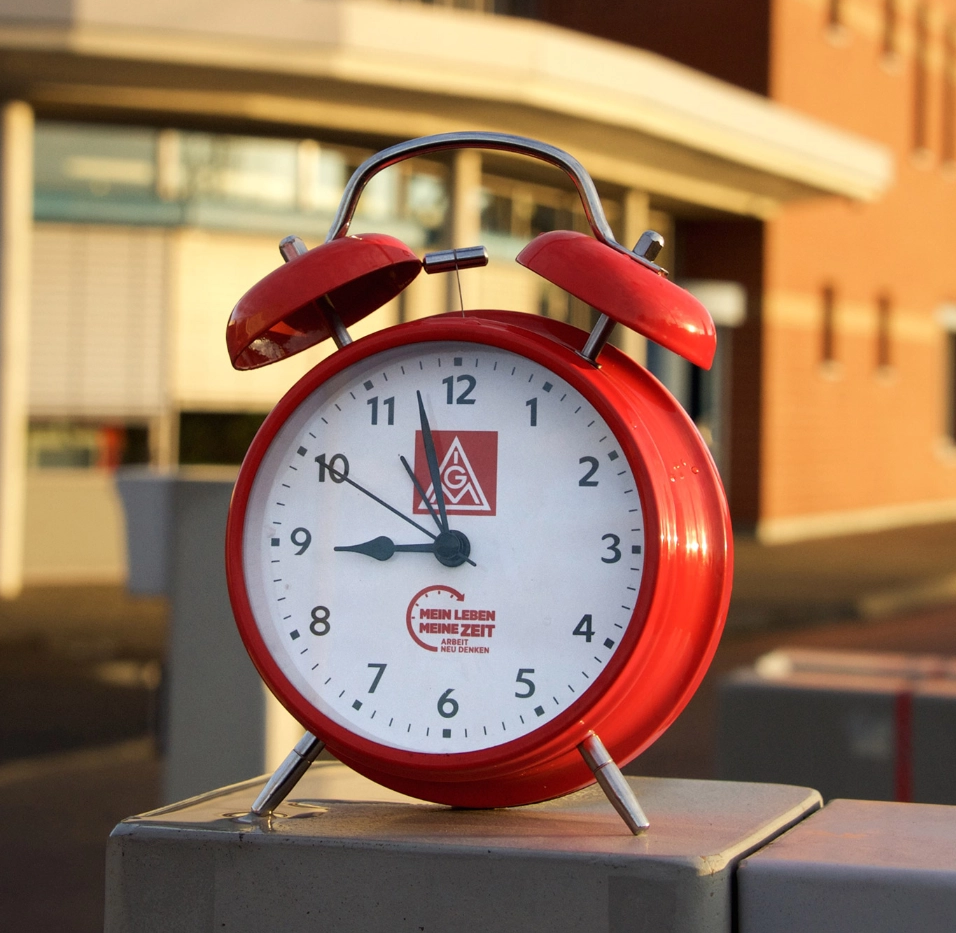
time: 8:57
